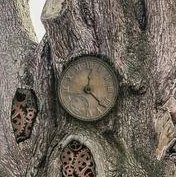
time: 12:22
